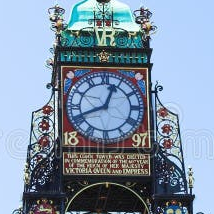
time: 12:41
